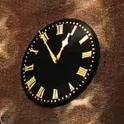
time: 12:54
